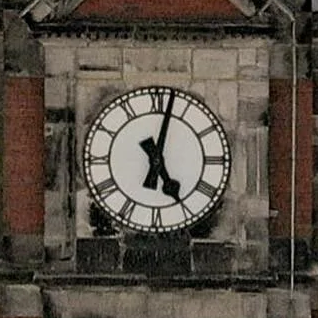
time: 5:02
